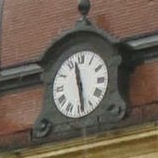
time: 11:28
